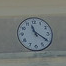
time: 11:20
